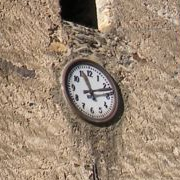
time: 11:12
